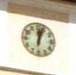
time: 12:03
